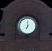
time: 7:00
